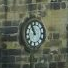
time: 10:56
